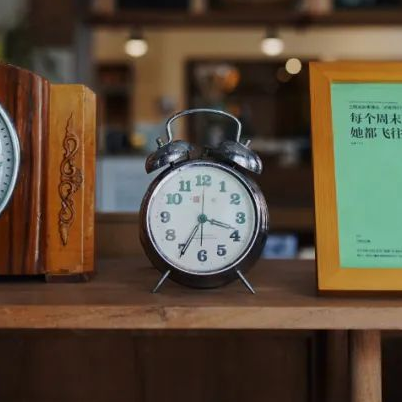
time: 3:34
